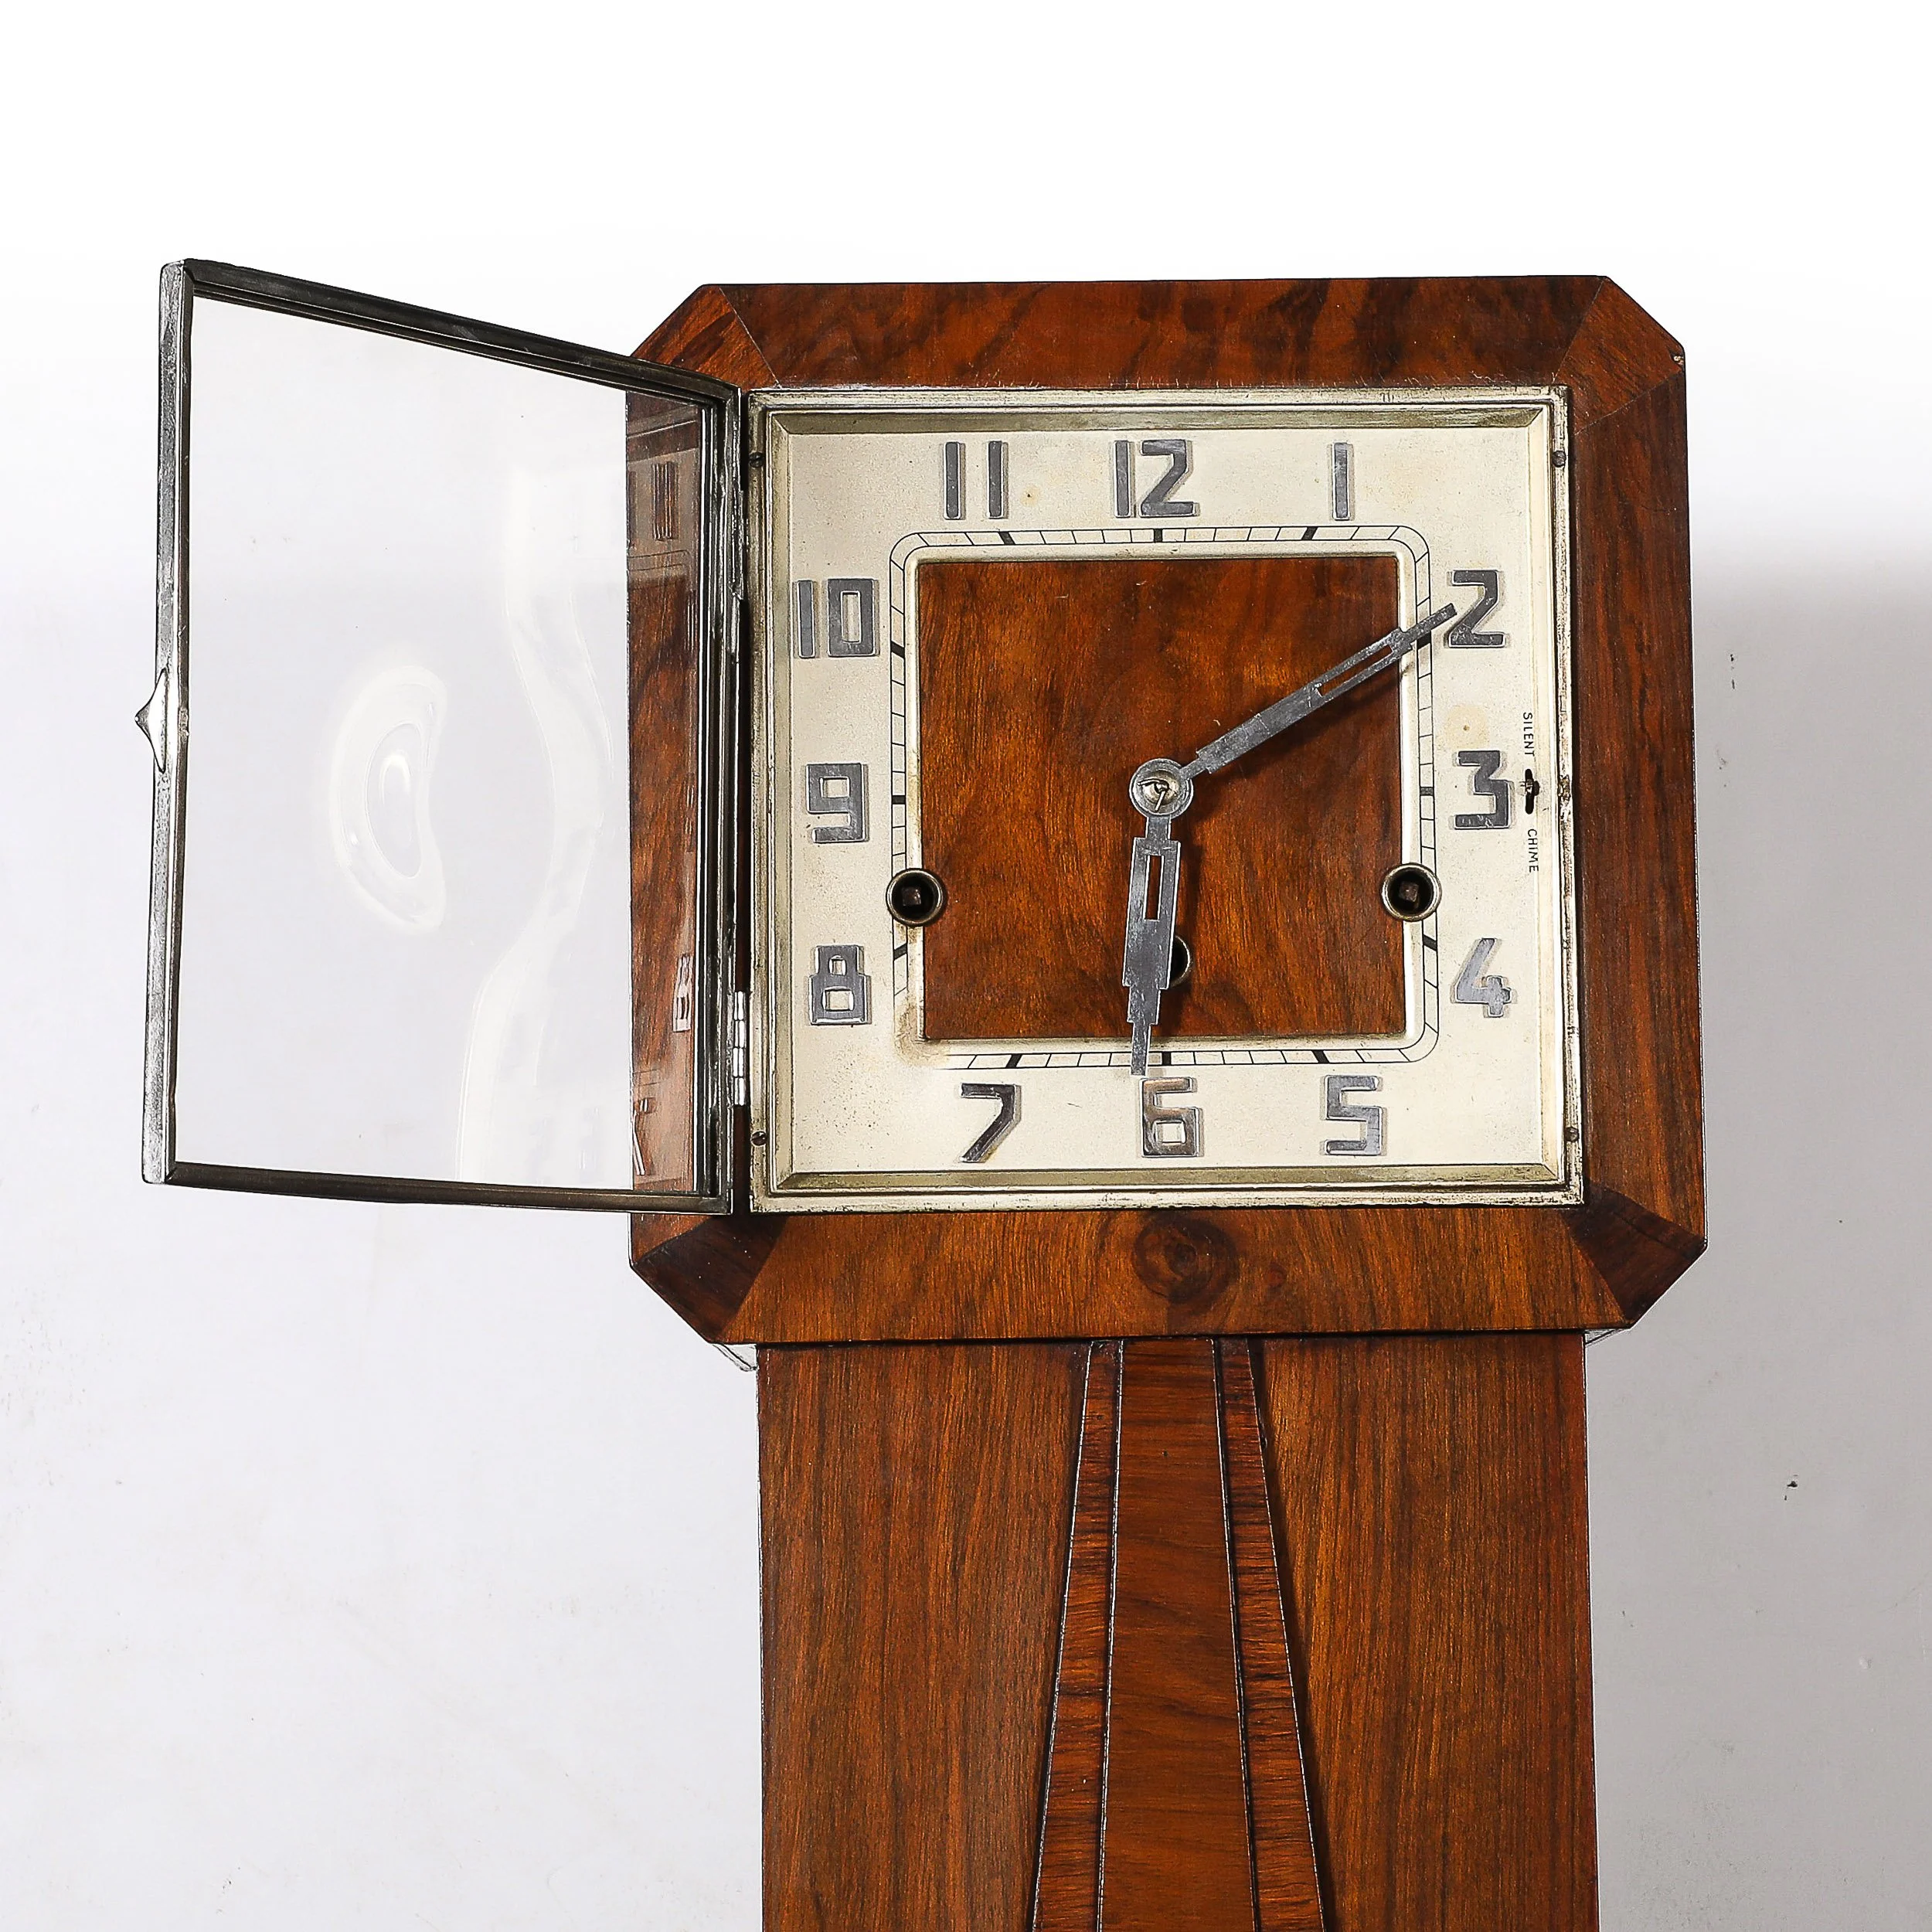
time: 6:10
